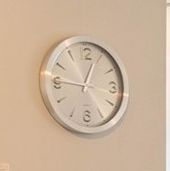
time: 12:46
